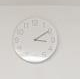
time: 3:09
